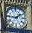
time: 1:46
